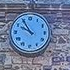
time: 9:54
